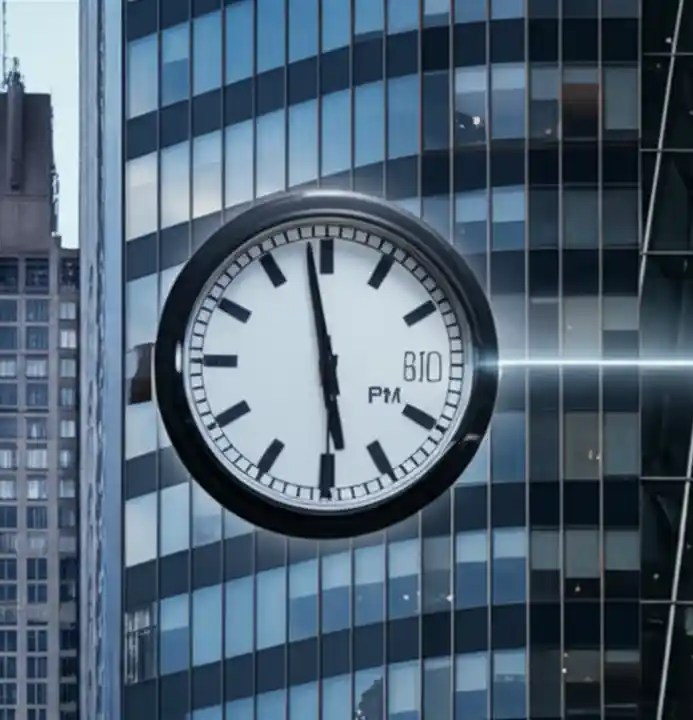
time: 5:58
